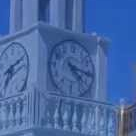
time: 4:16
